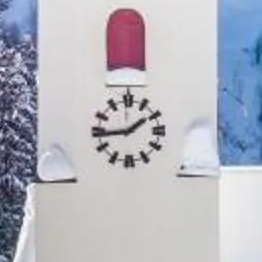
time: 1:43
